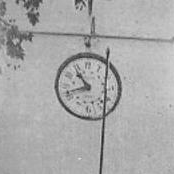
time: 10:41
